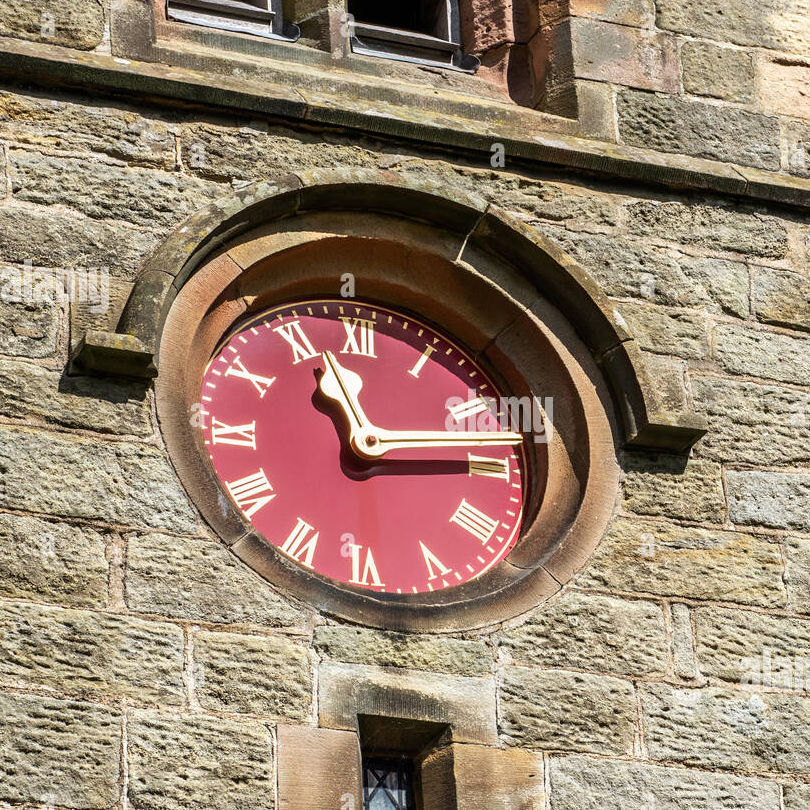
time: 11:13
